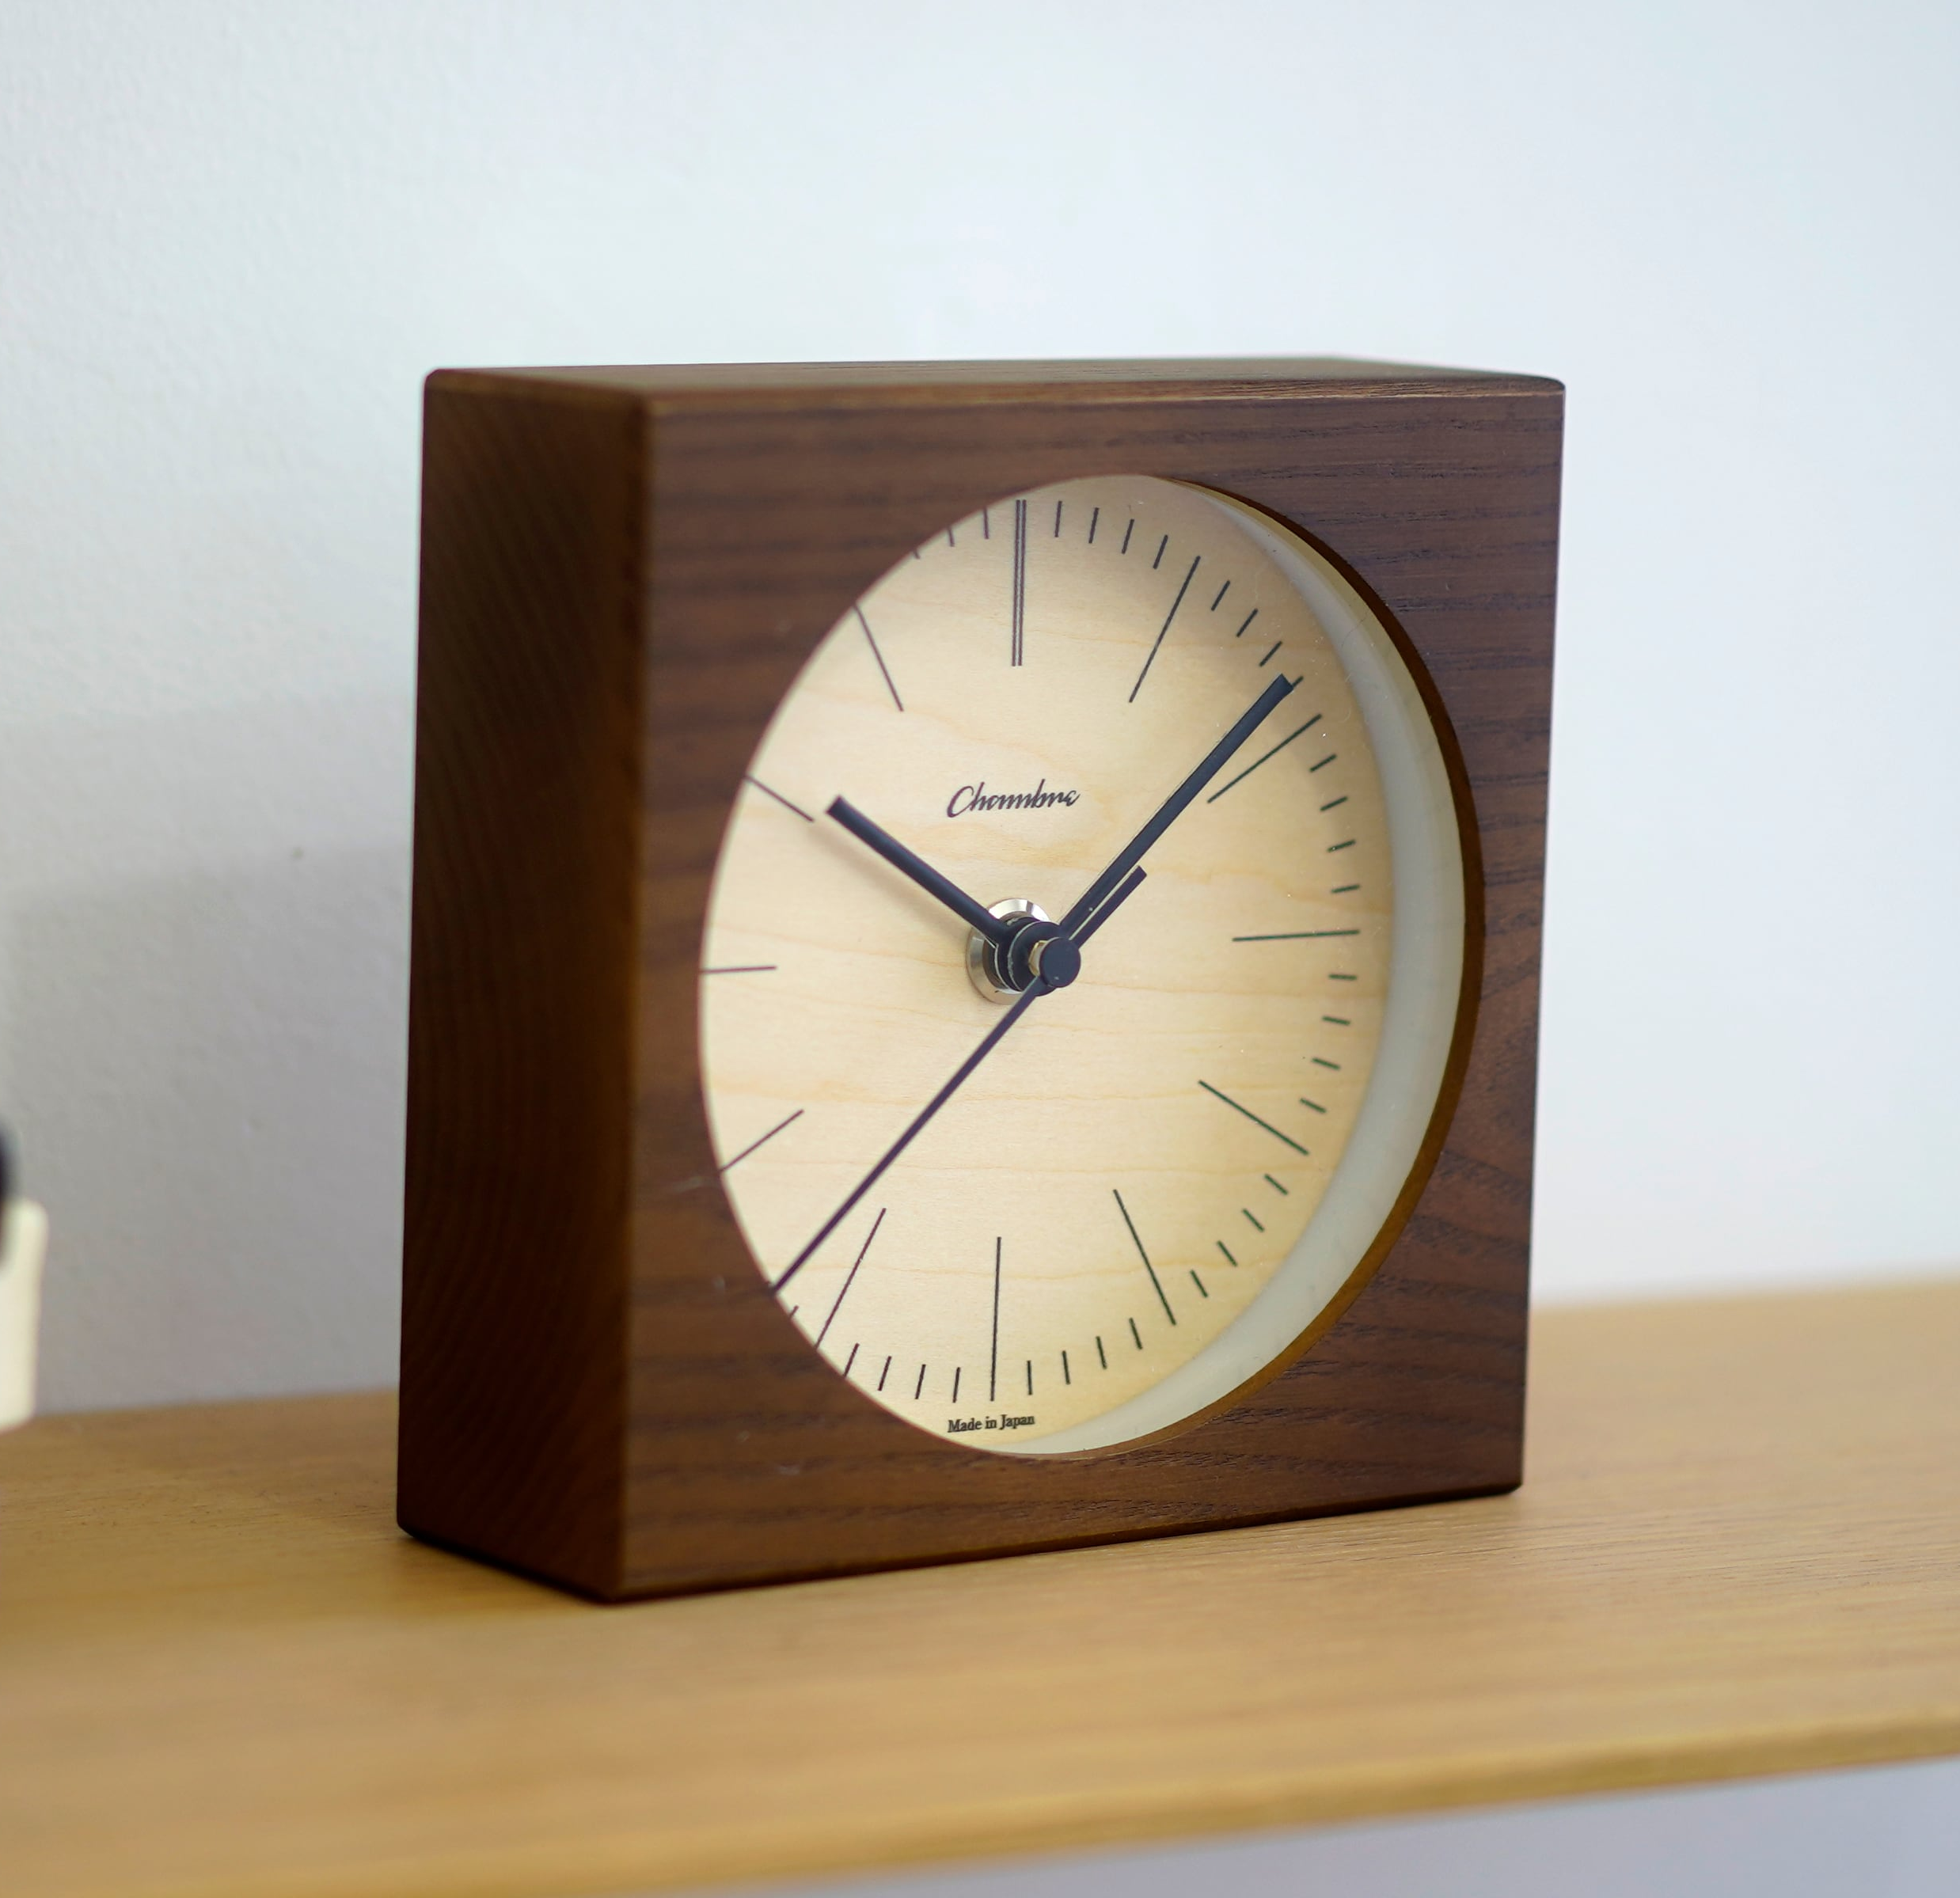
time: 10:08
